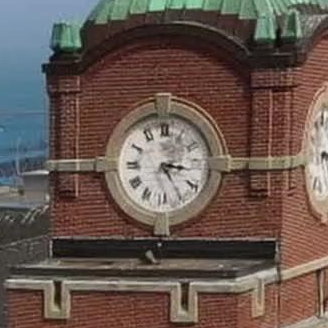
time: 3:24
